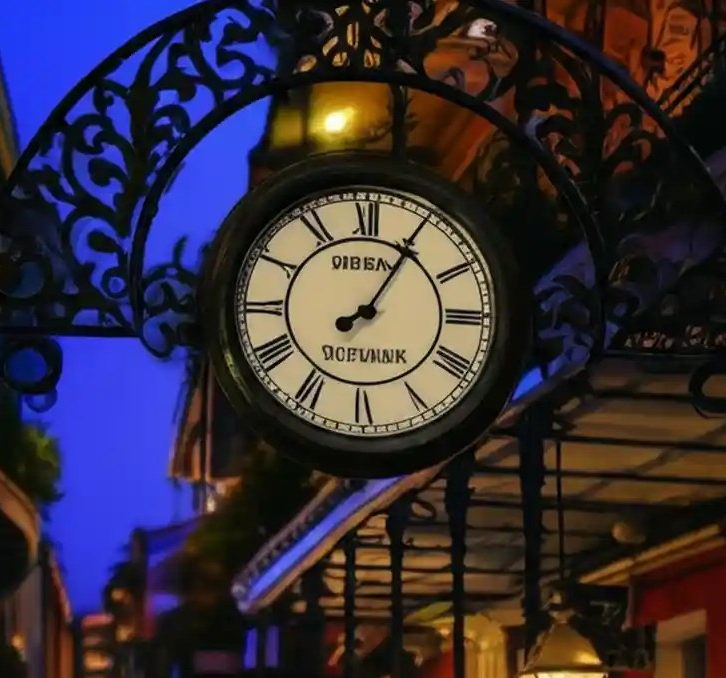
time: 8:05
